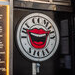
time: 9:12
